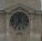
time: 11:35
